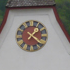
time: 1:21
